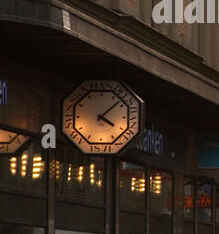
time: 4:08
